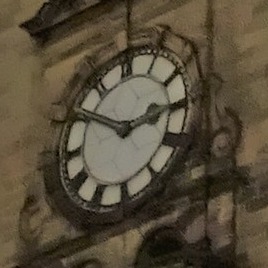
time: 2:50
